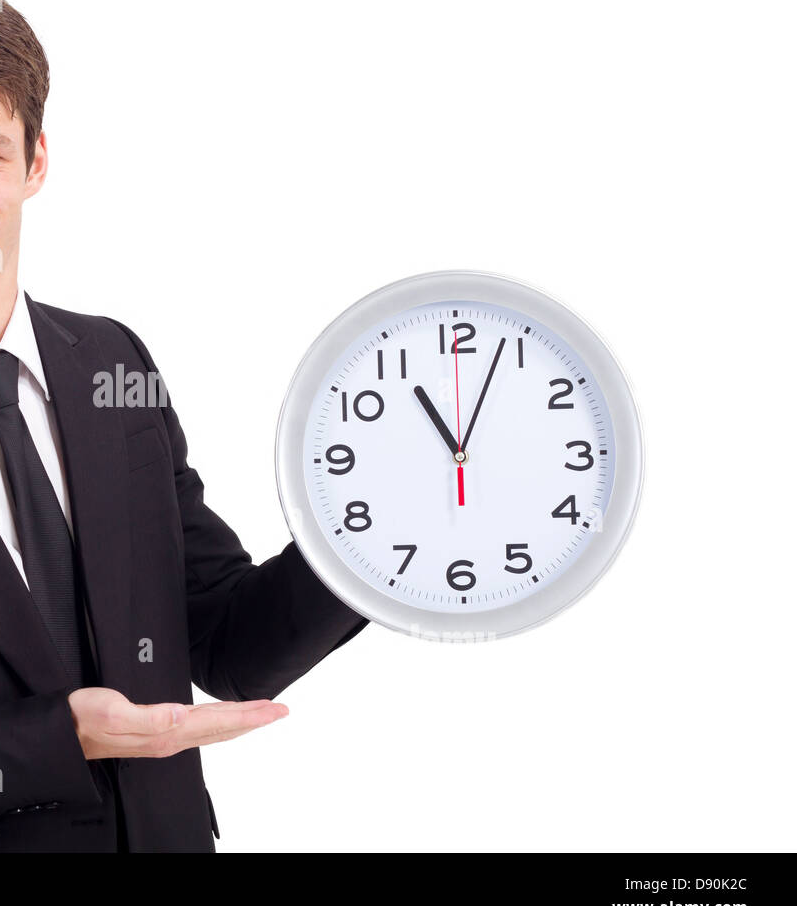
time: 11:03
